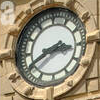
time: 2:40
